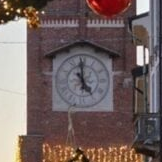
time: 4:59
